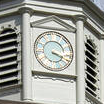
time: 3:18
